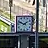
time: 1:49
